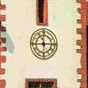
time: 11:45
